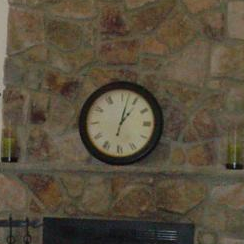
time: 1:02
